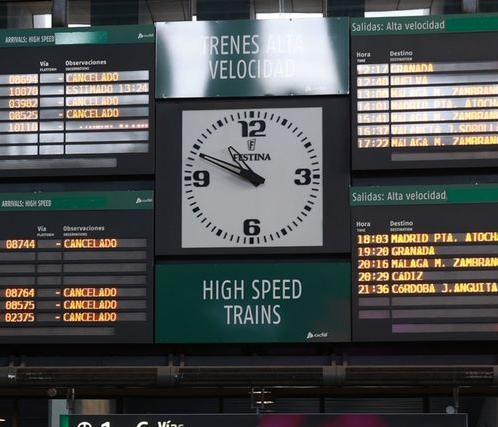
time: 10:49
